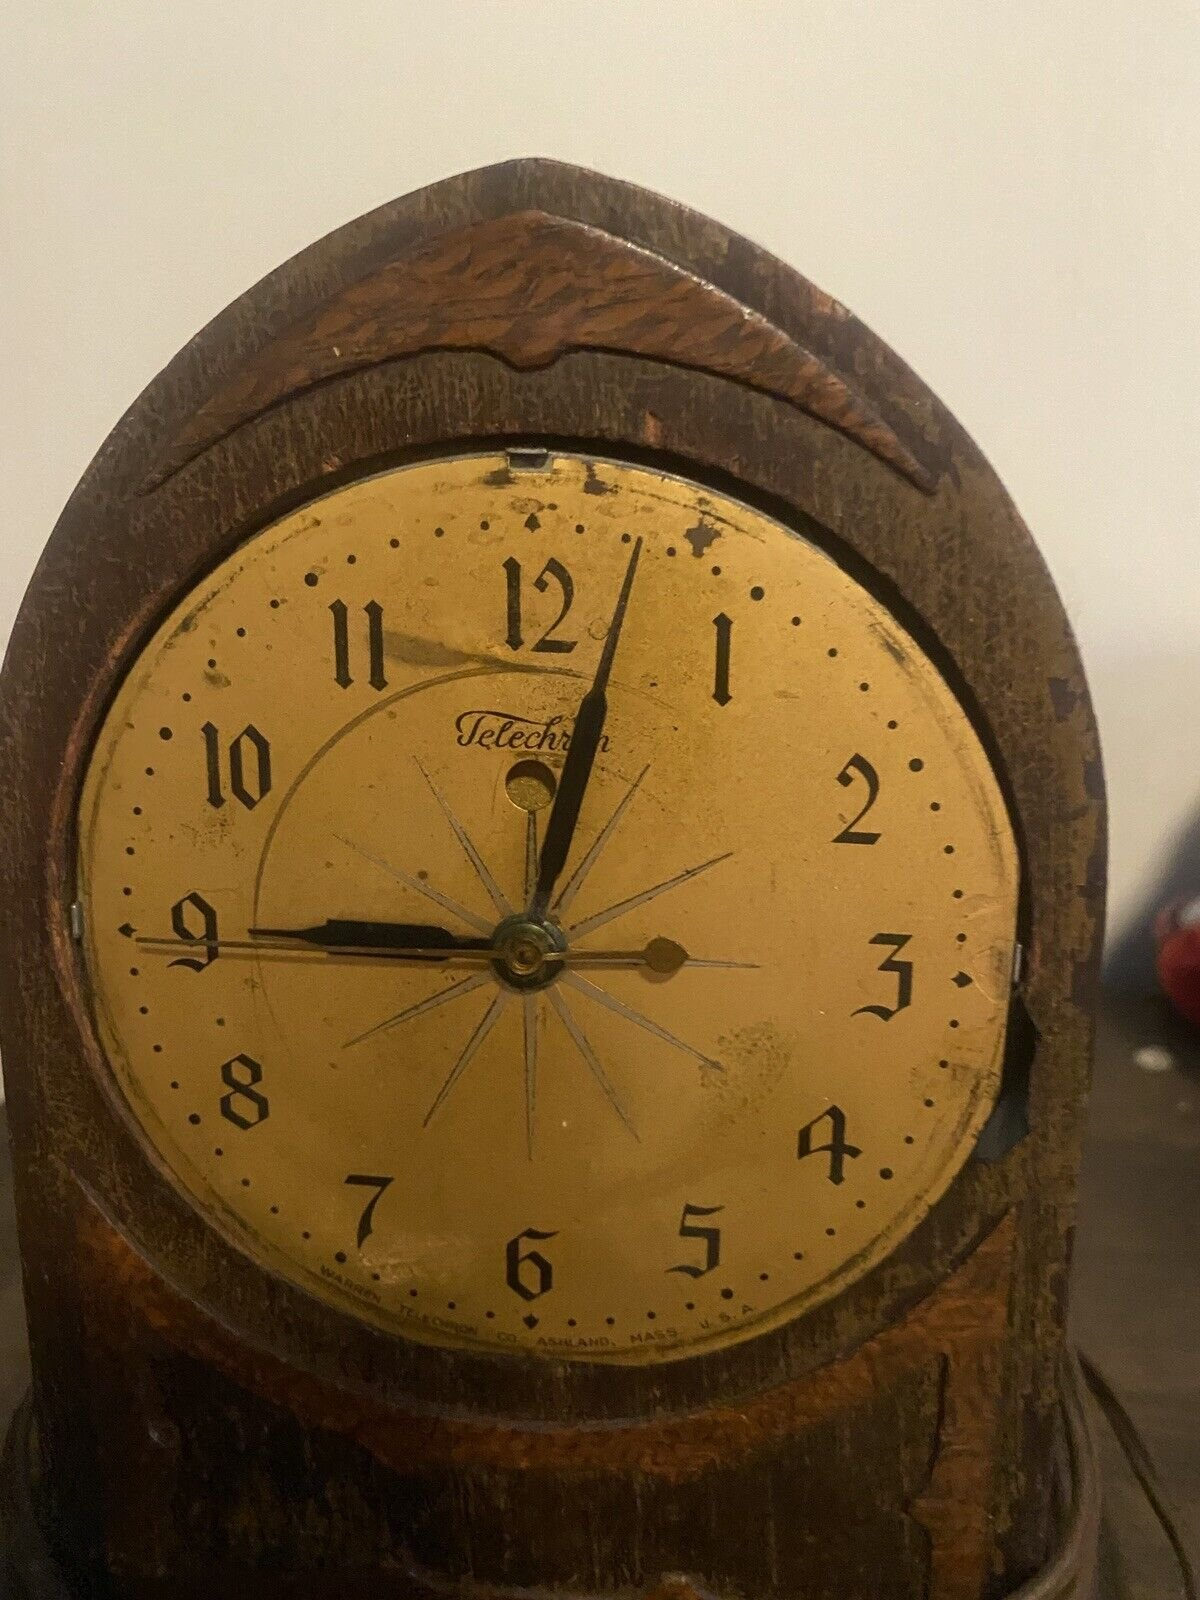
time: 9:02
